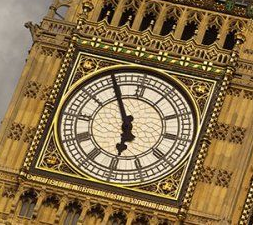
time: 5:54
